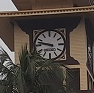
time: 9:47
